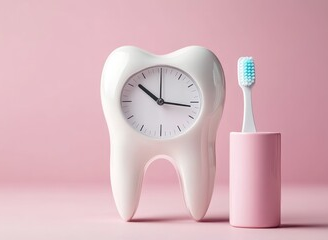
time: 10:16
